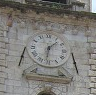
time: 1:32
